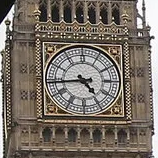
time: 4:44
